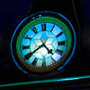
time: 4:39
